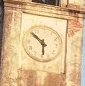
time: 5:51
